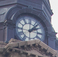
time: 2:07
